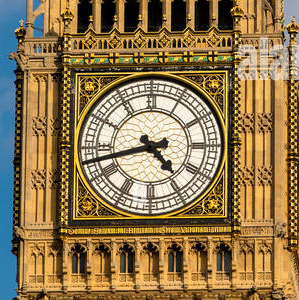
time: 4:42
